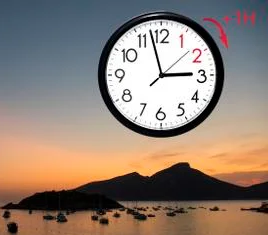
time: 2:57
